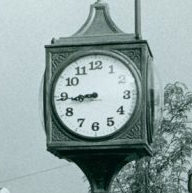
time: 8:44
